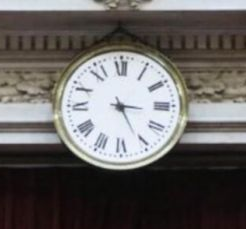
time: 3:25
